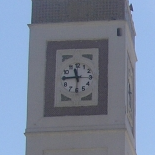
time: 11:44
